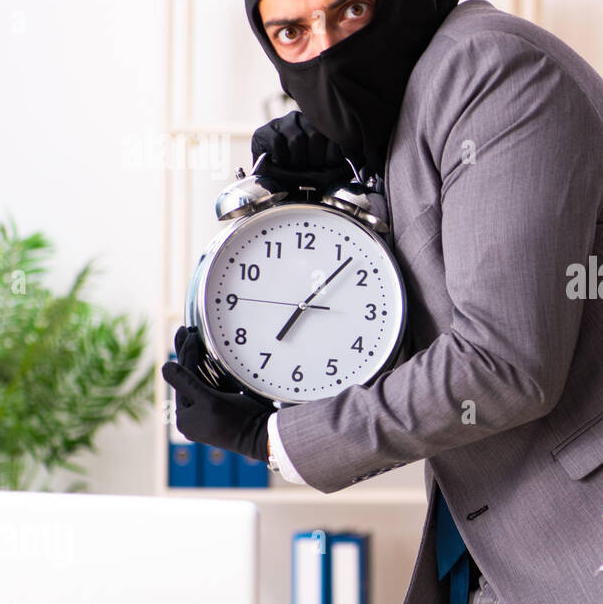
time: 7:07
